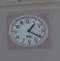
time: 1:20
